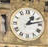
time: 1:12
